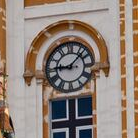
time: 9:07
